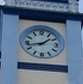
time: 1:42
